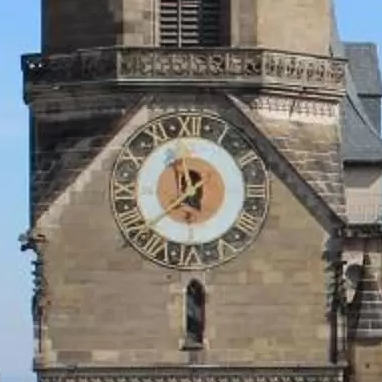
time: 11:37
